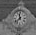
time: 11:37
